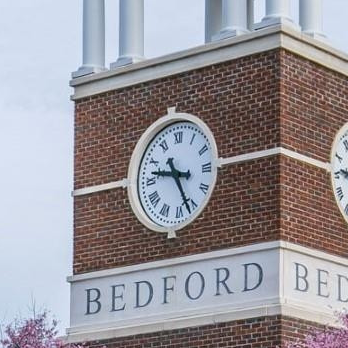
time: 9:26
